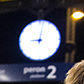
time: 9:01
